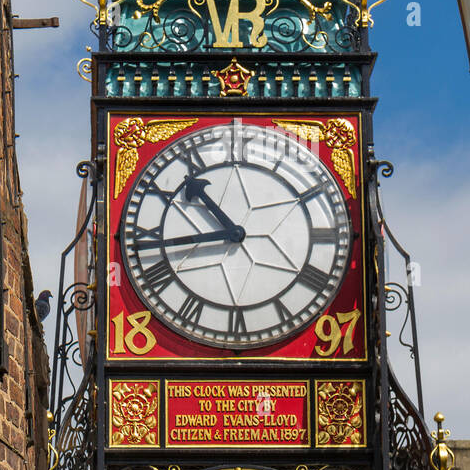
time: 10:43
